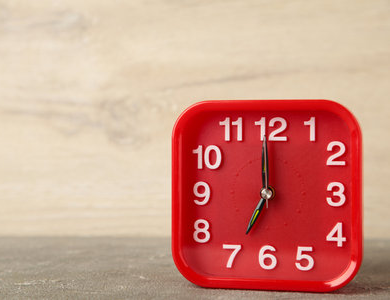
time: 6:59
